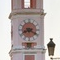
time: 8:19
